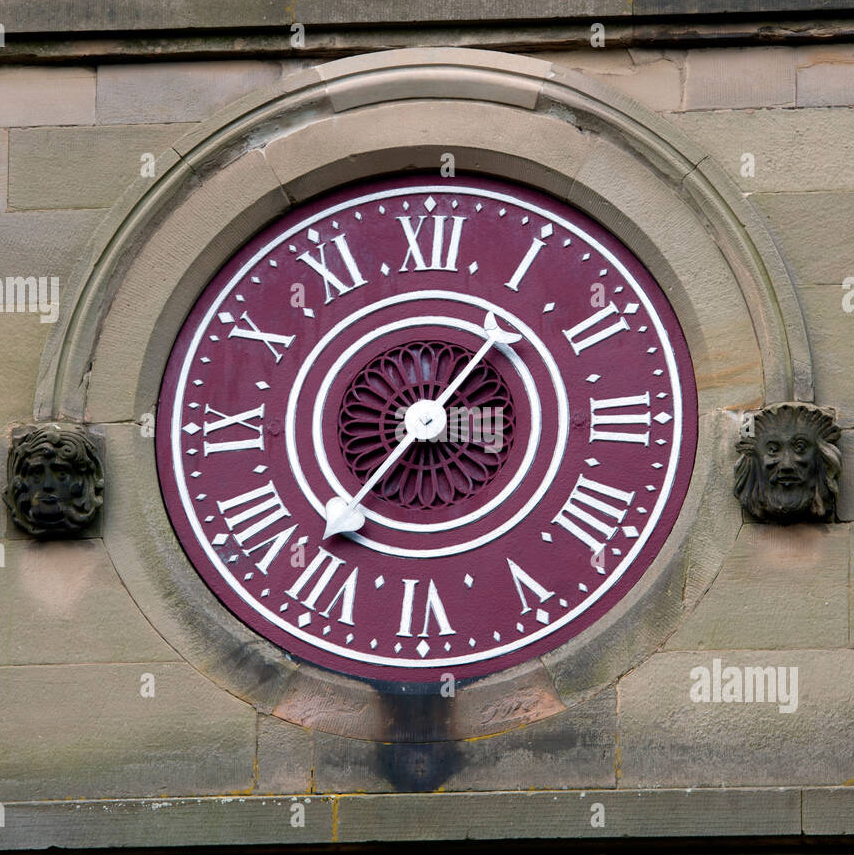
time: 1:36
